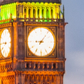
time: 9:05
